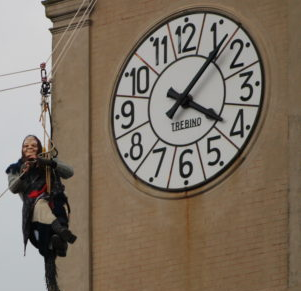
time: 4:07
